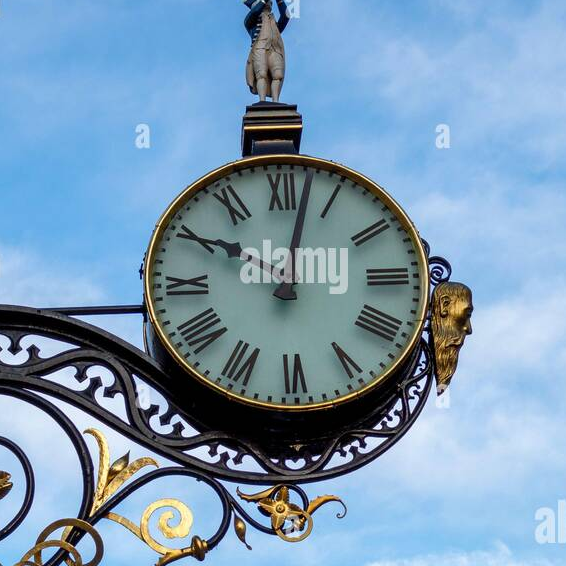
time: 10:02
